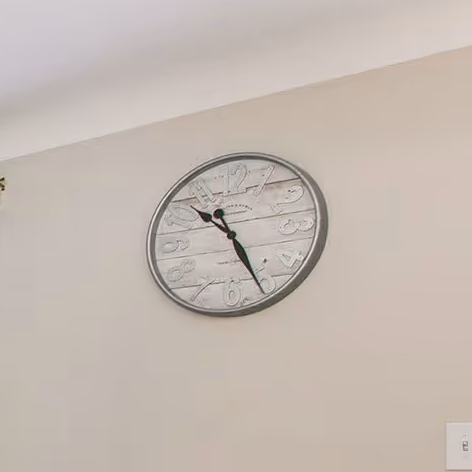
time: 10:25
